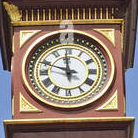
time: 11:48
